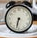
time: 6:32
